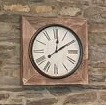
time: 12:09
